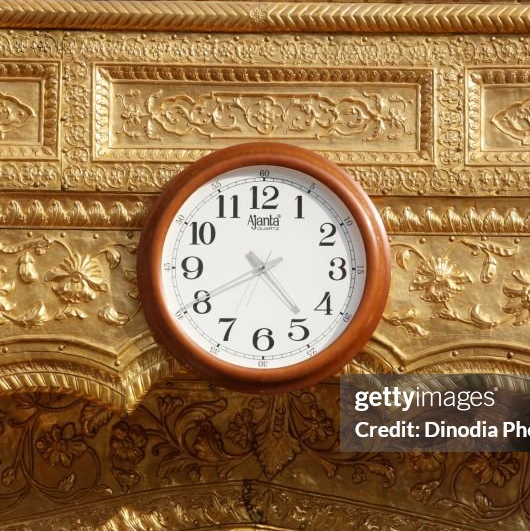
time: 4:40
